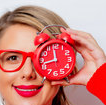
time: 11:42
